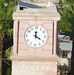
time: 4:00
